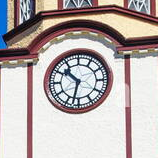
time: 10:32
